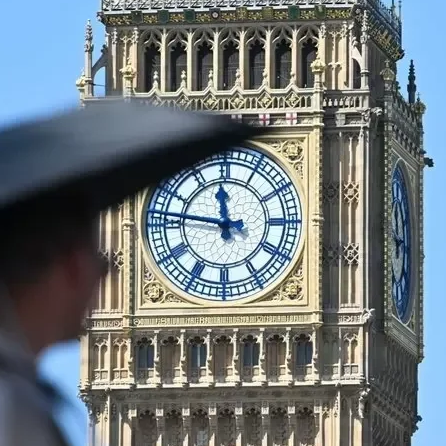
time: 11:46
